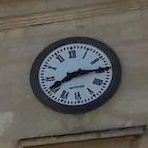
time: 8:14
